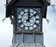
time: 12:08
